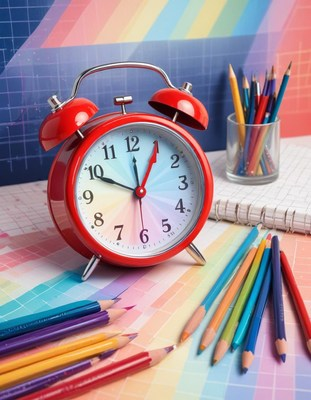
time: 11:49
